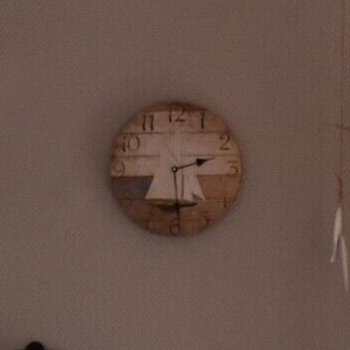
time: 2:29
